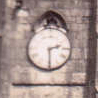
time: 2:29
